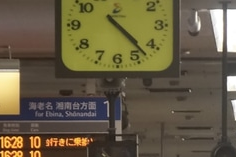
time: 4:22
